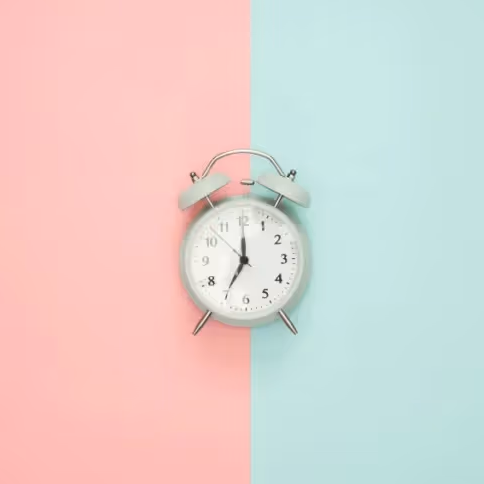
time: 7:00
